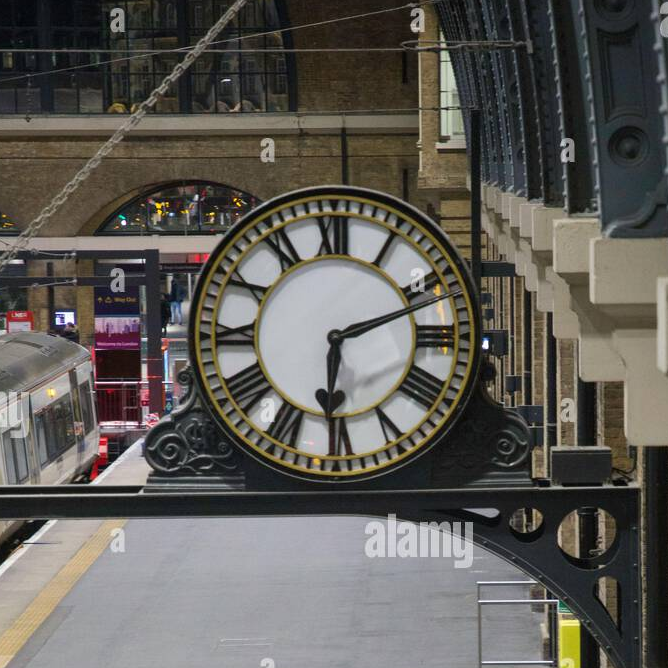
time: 6:11
